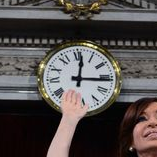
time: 12:16
